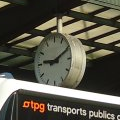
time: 9:10
